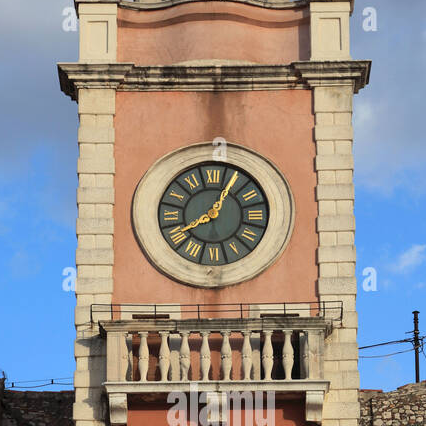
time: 8:04
